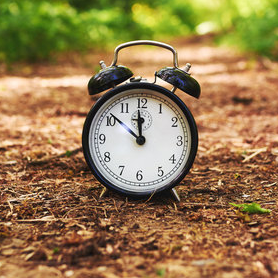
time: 11:51
